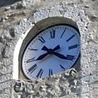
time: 8:20
